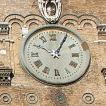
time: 10:05
